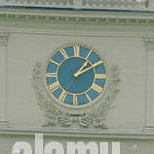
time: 1:09
